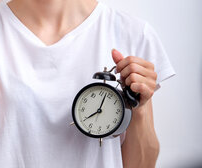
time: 8:03
